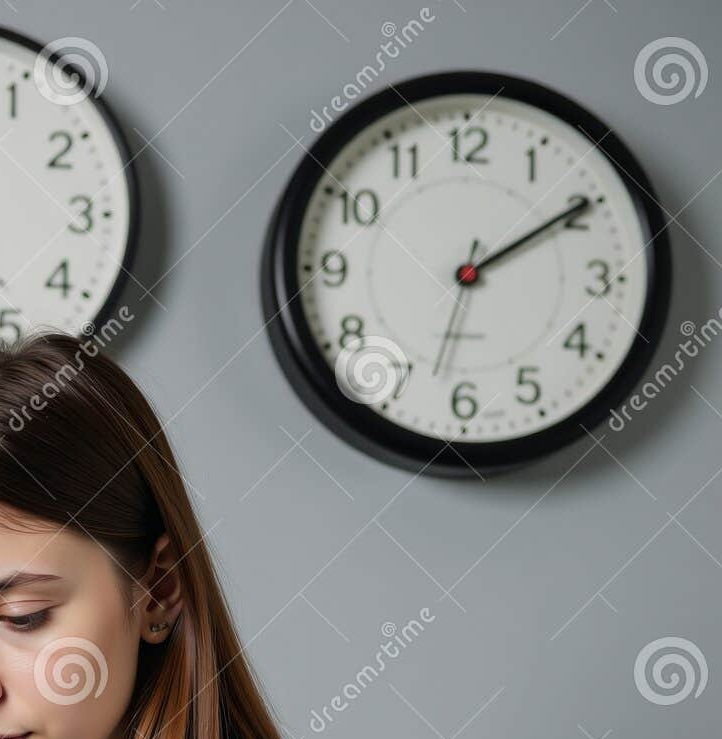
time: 2:09
